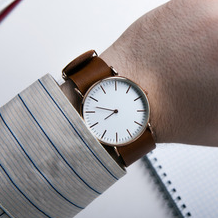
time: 7:46
